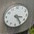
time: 3:24
